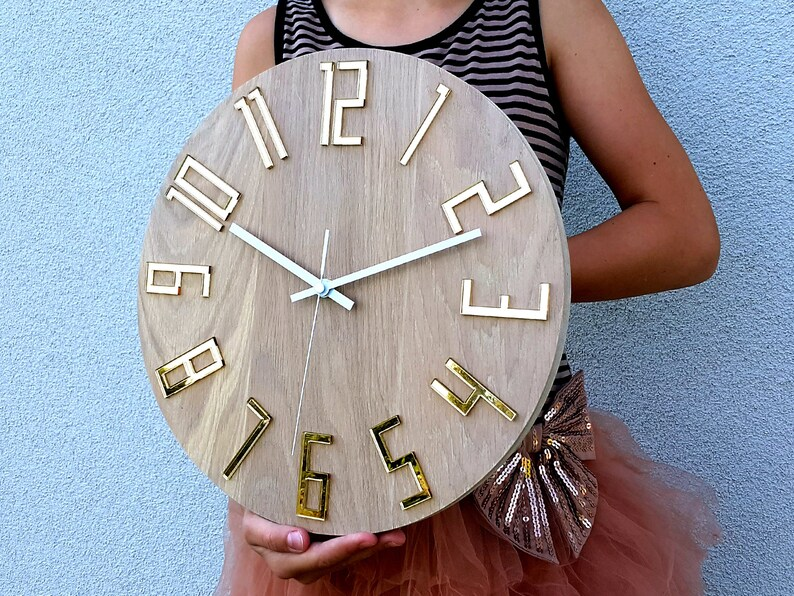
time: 10:11
